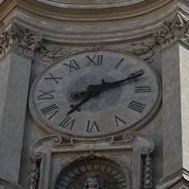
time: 7:11
